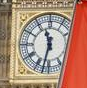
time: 11:32
